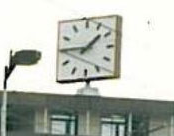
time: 1:45
